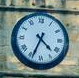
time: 4:34
